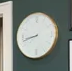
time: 8:42
